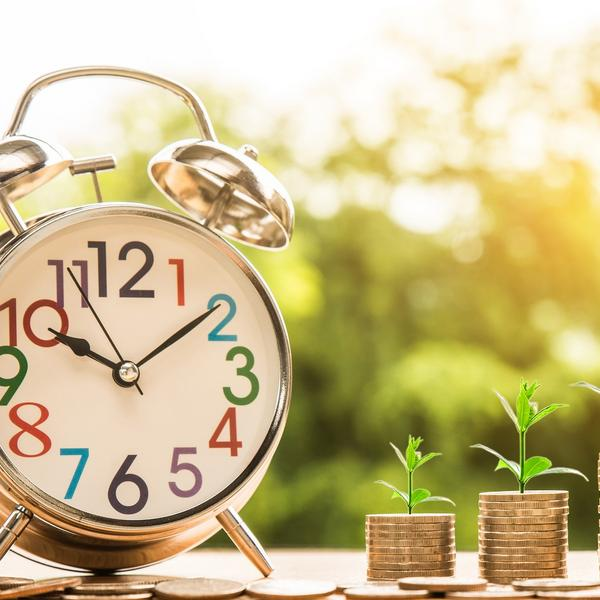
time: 10:09
